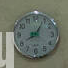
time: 8:04
